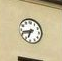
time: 6:42
